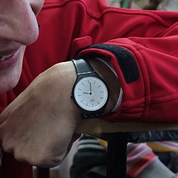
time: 9:01
